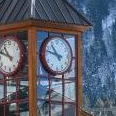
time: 10:47
